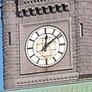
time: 12:08
